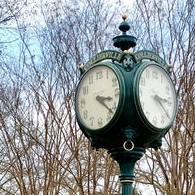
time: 3:22
